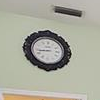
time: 8:43
